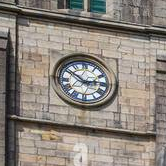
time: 2:50
